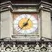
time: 12:37
